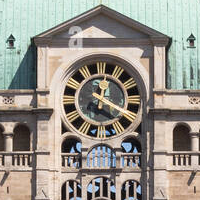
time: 12:19
